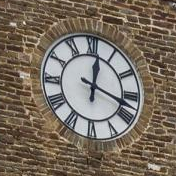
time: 12:18
